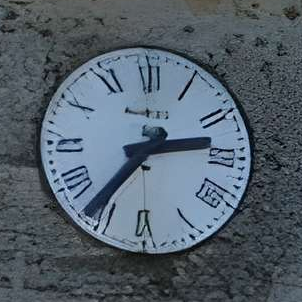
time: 2:36
